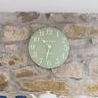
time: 10:32
